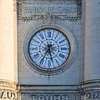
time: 5:35
